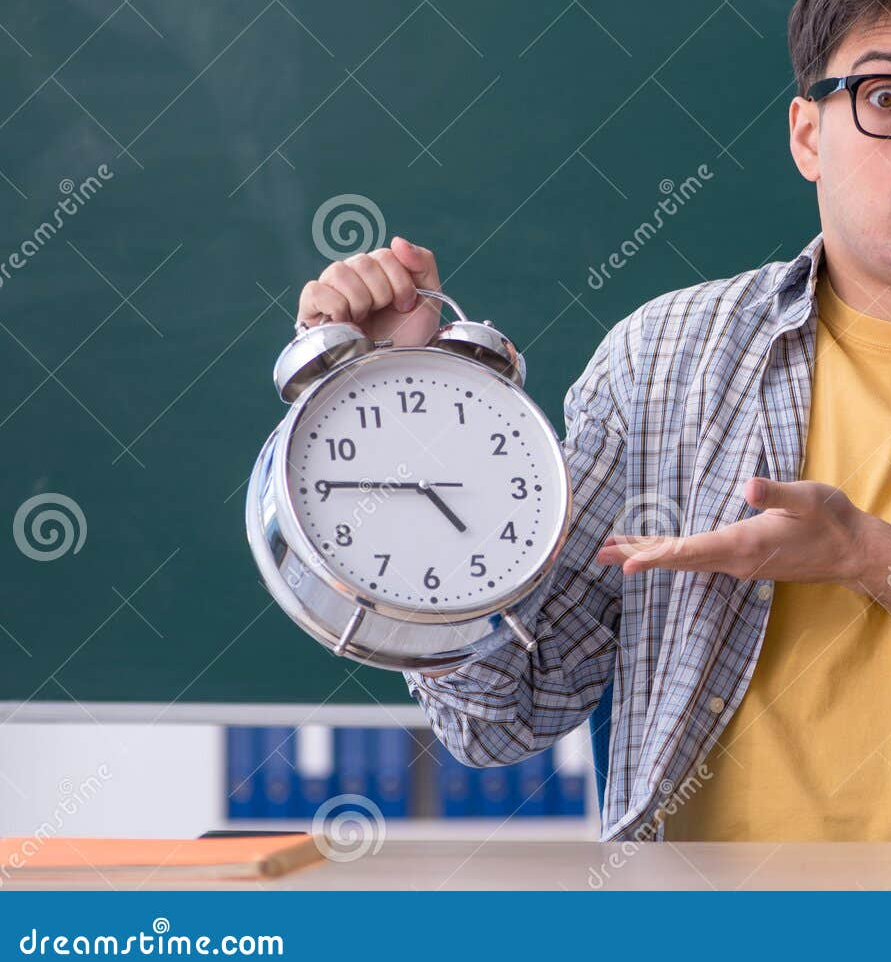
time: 4:45
